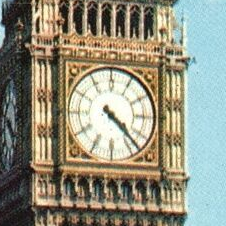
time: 4:22
